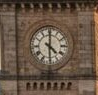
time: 4:29
